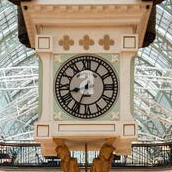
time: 8:34
